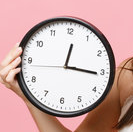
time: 12:15
